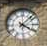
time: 4:07
